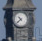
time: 10:37
